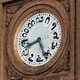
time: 8:26
